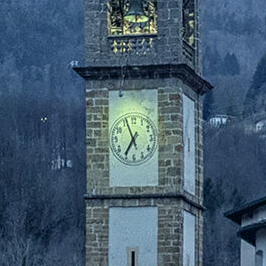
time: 6:56
